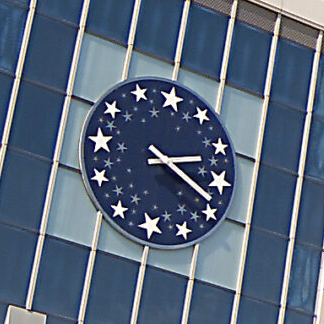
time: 2:18
